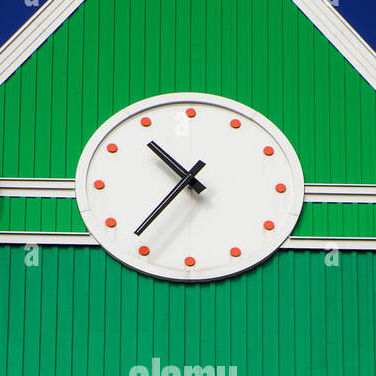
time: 10:36
